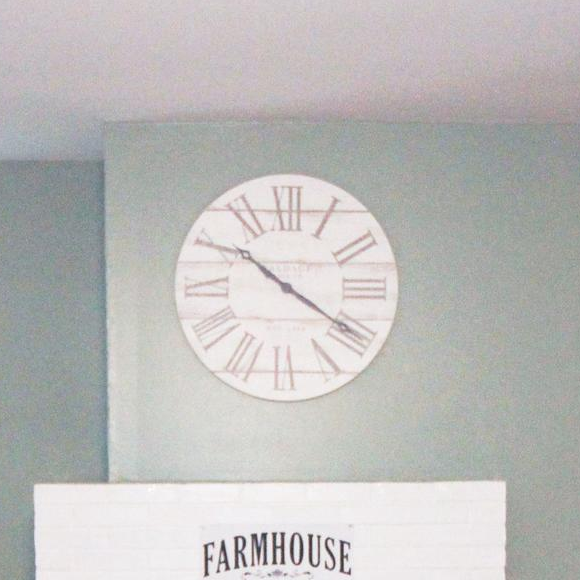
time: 10:20
